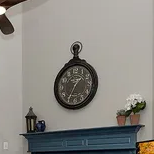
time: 1:34
